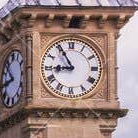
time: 8:55
